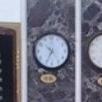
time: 10:34
